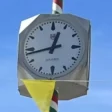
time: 12:43
